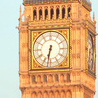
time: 6:32
